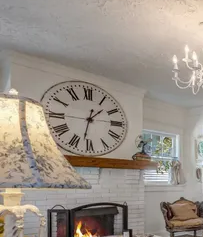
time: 1:32
